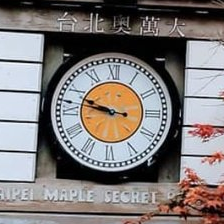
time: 9:47
